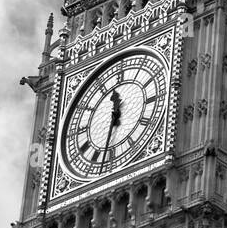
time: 11:32
